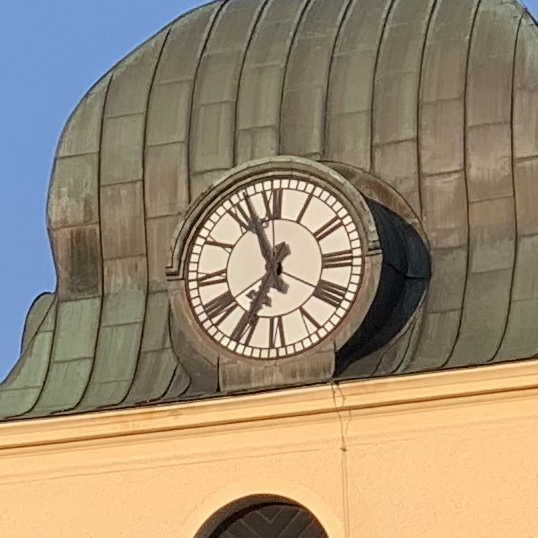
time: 6:56
